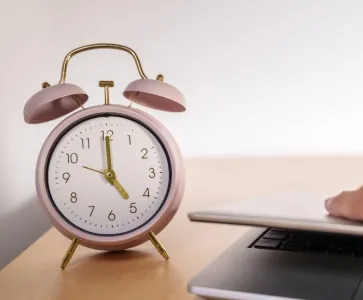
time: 5:00
